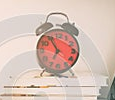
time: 6:54
